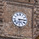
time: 6:14
